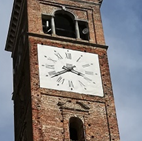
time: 3:38
